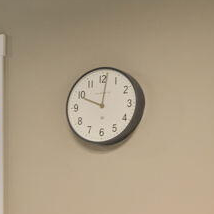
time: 10:01
